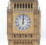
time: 12:00
